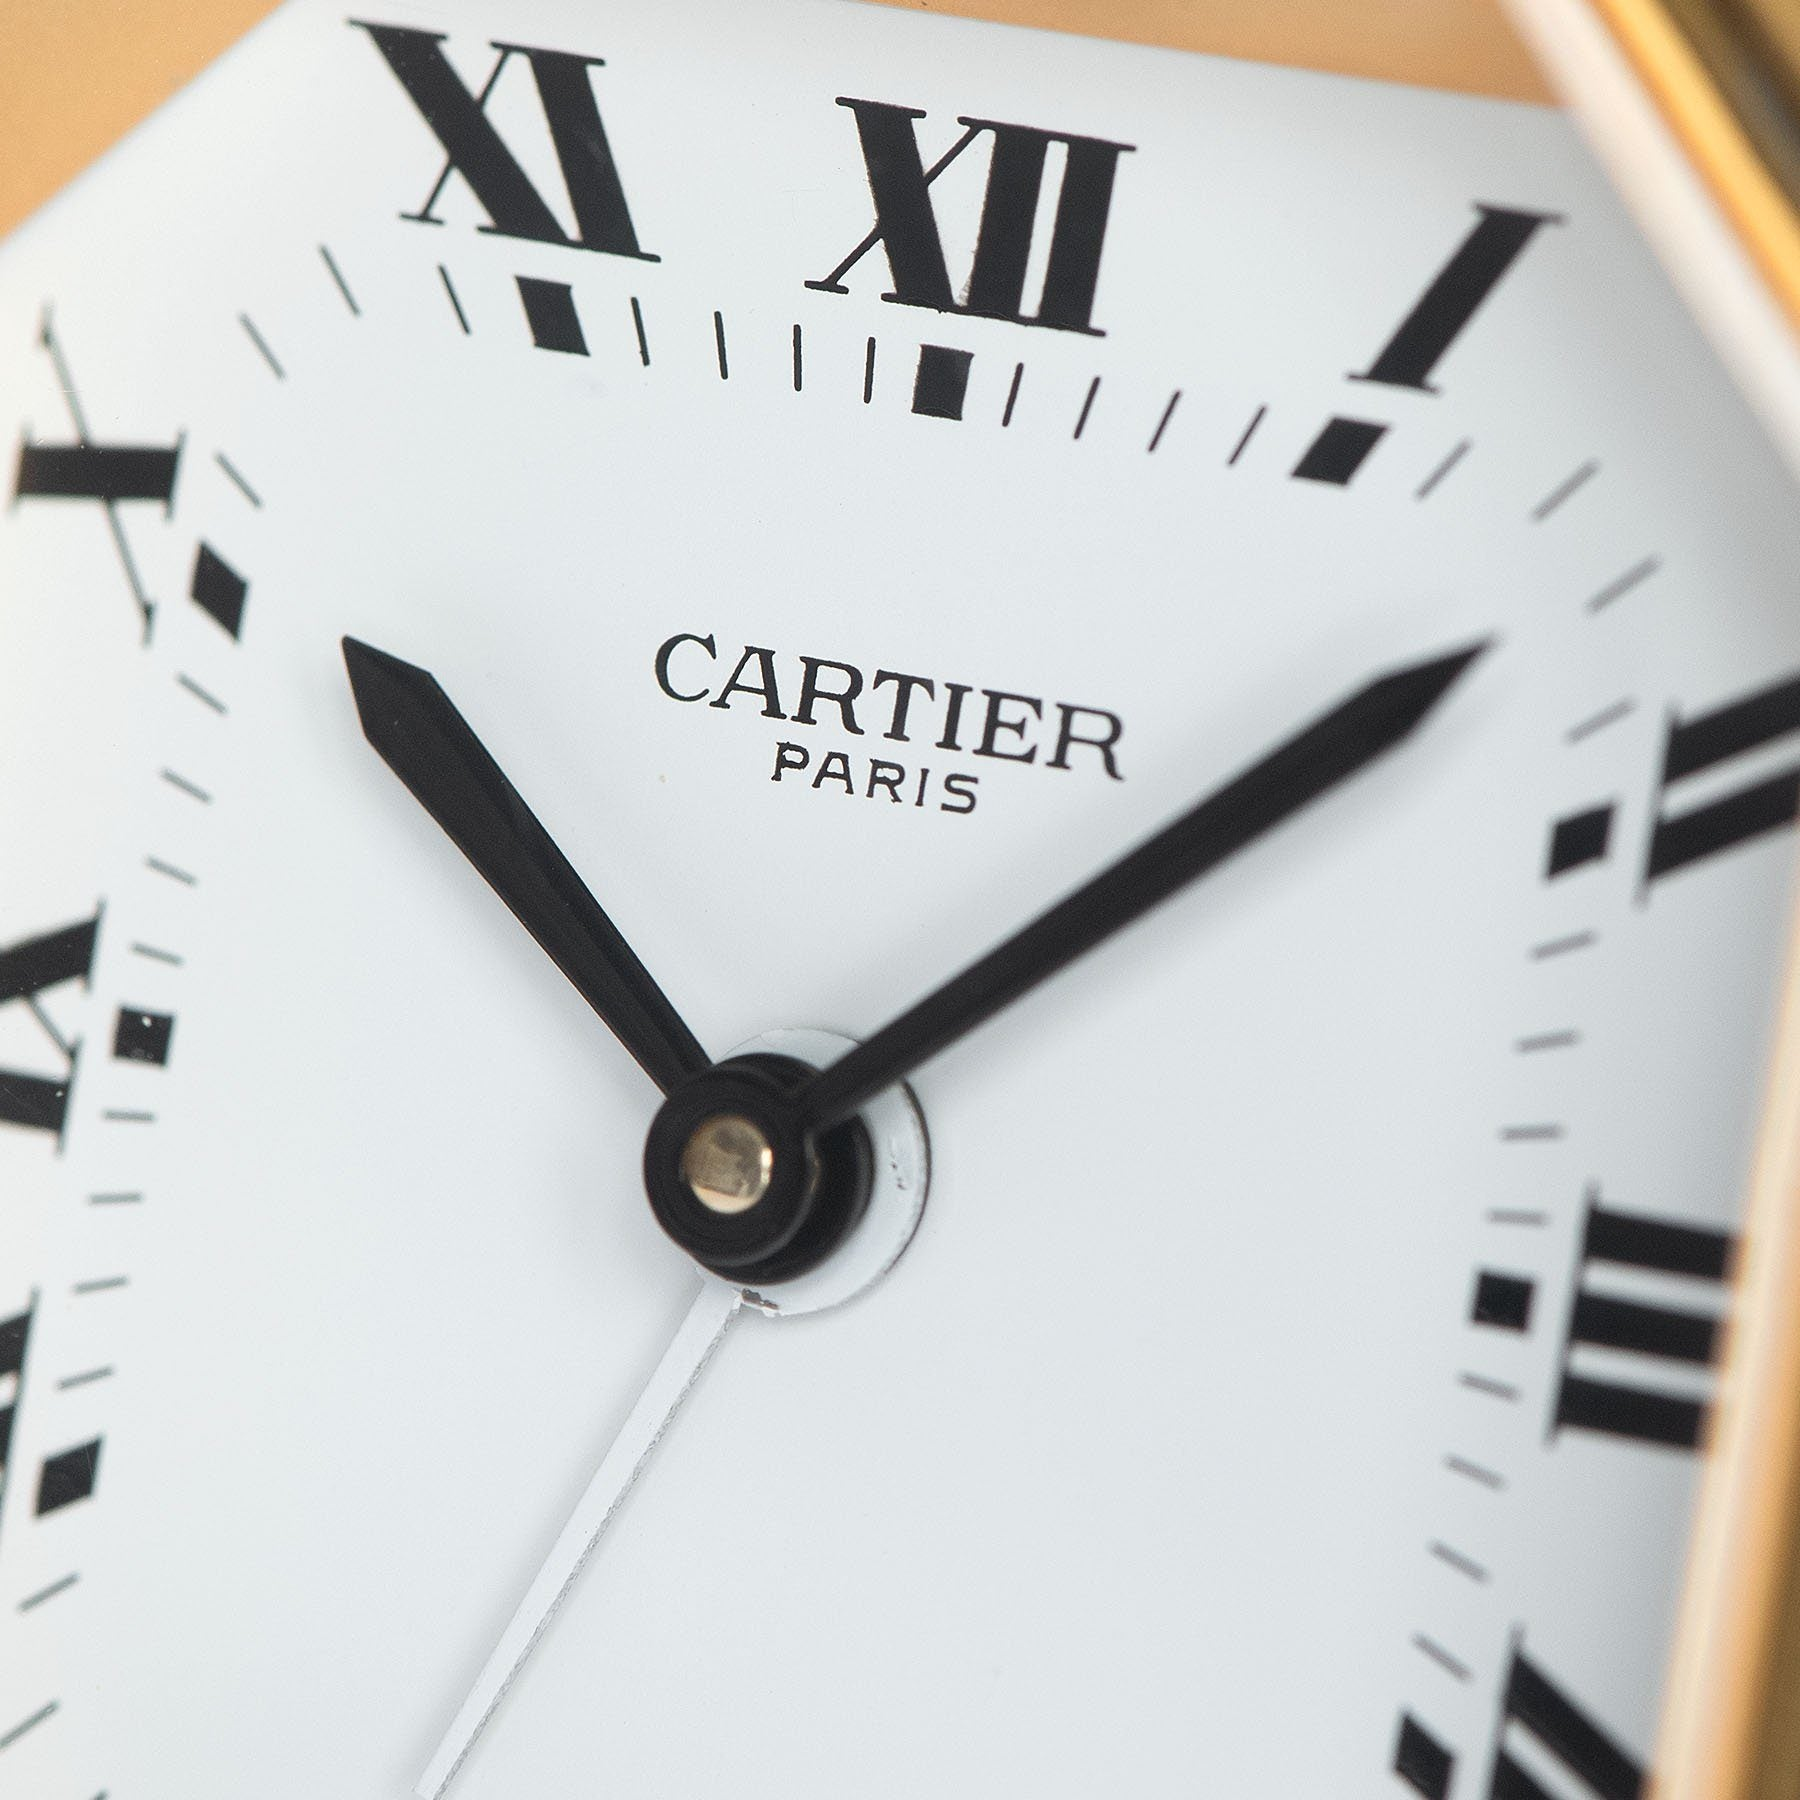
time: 10:07
